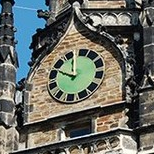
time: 11:48
